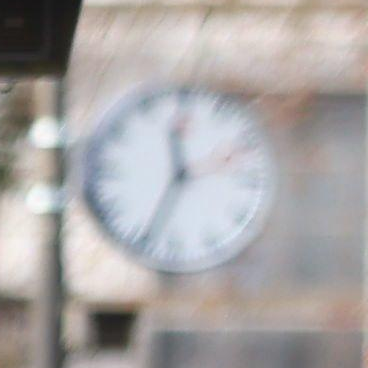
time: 11:33
